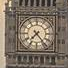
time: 7:23
